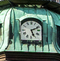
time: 5:11
